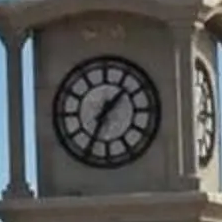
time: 1:34
